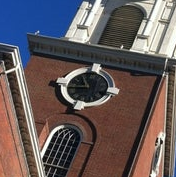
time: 10:45
